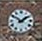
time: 1:50
